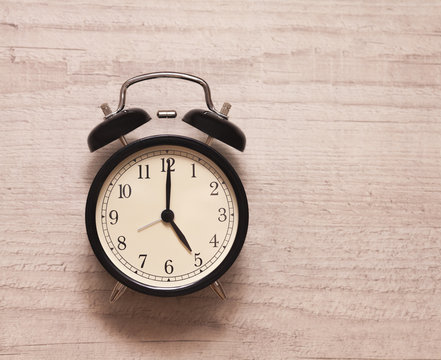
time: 5:00
